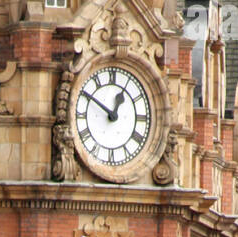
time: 12:50
